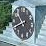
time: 10:41
